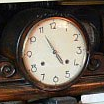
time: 4:54
